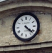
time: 4:21
